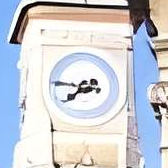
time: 7:45
